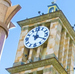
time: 12:19
